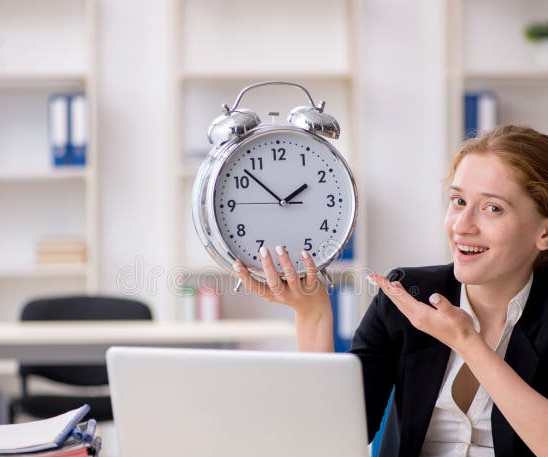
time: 1:52
